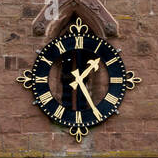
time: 1:25
